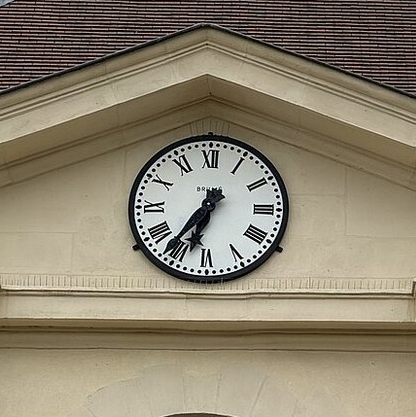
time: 6:36
